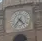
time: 4:35
